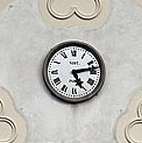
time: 5:13
